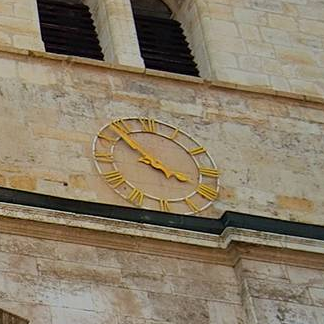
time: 3:52
